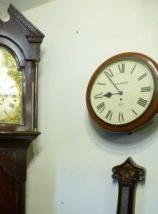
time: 8:53
